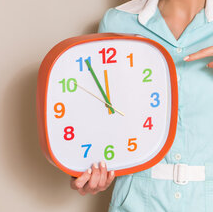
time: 11:55
